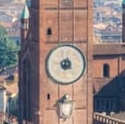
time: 8:32
